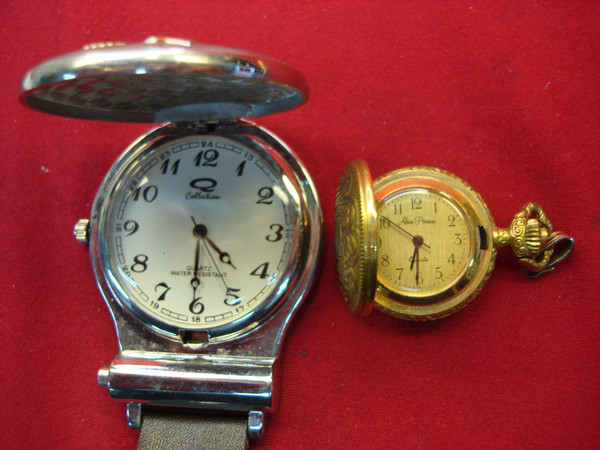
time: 4:30
